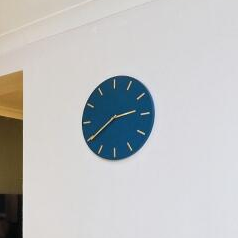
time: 2:39
